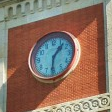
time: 1:31
